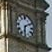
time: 6:10
